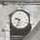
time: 9:34
